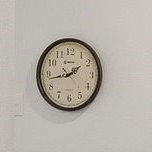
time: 1:43
